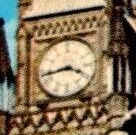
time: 3:43
